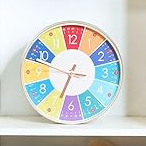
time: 6:47
